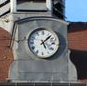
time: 5:07
